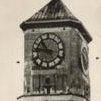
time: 10:46
